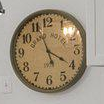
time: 3:56
